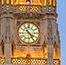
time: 4:23
